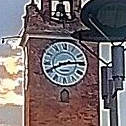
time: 8:14
